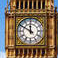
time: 11:50
